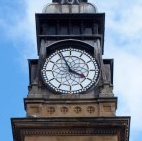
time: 3:55
